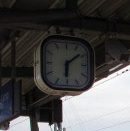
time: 6:08
